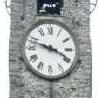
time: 3:47
